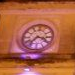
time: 3:37
